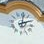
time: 2:00
